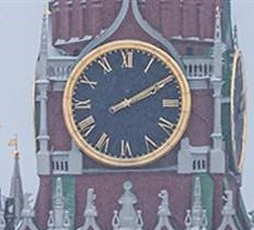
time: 2:09
